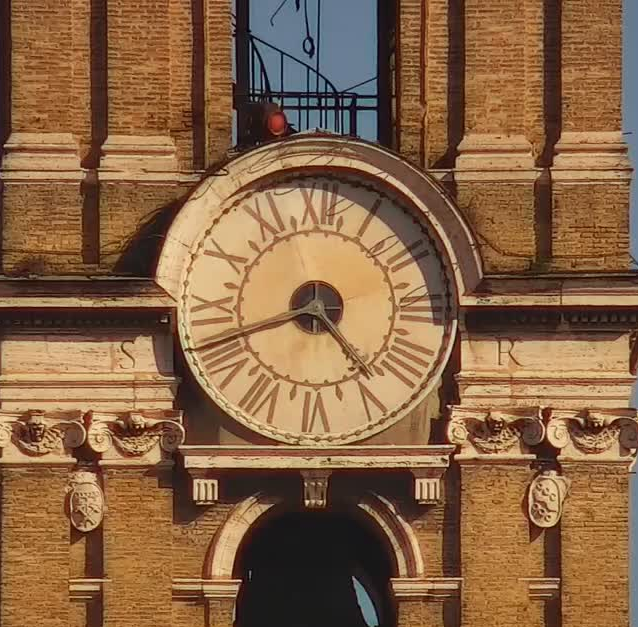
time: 4:41
